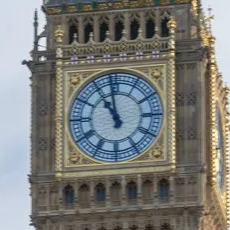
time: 10:58
